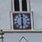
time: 6:00
